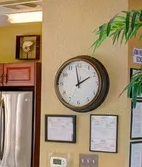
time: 1:58
